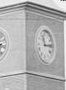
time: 11:13
